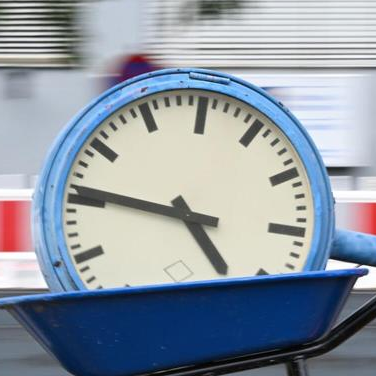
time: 4:46
